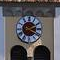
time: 2:19
